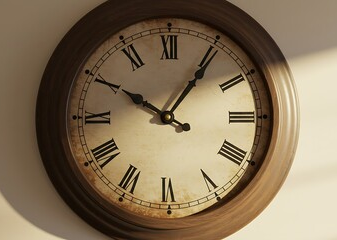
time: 10:05
